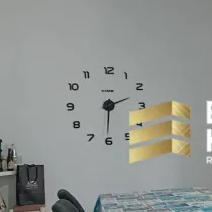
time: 2:30
